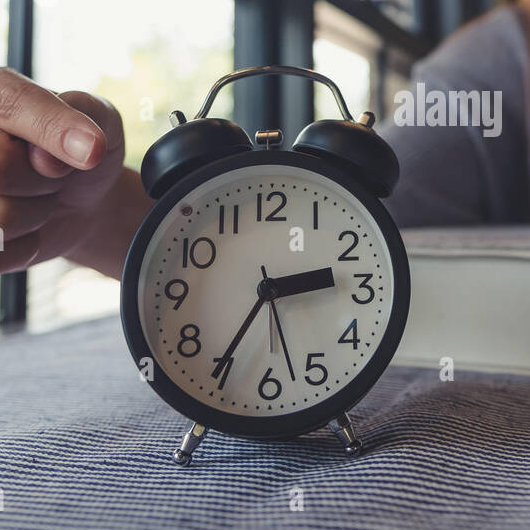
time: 2:35
